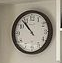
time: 10:53
